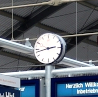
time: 2:42
